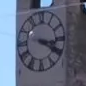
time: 3:20
